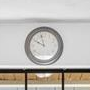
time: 9:57
